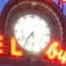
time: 5:36
